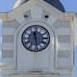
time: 11:28
